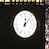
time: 12:06
